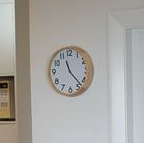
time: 11:22
